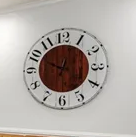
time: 12:49
